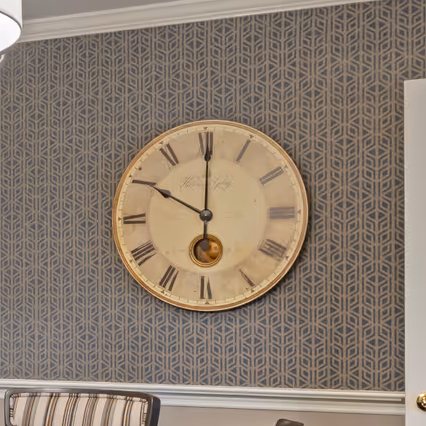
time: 10:00
